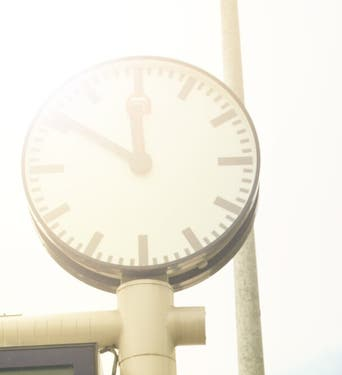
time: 11:50
